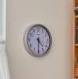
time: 4:30
